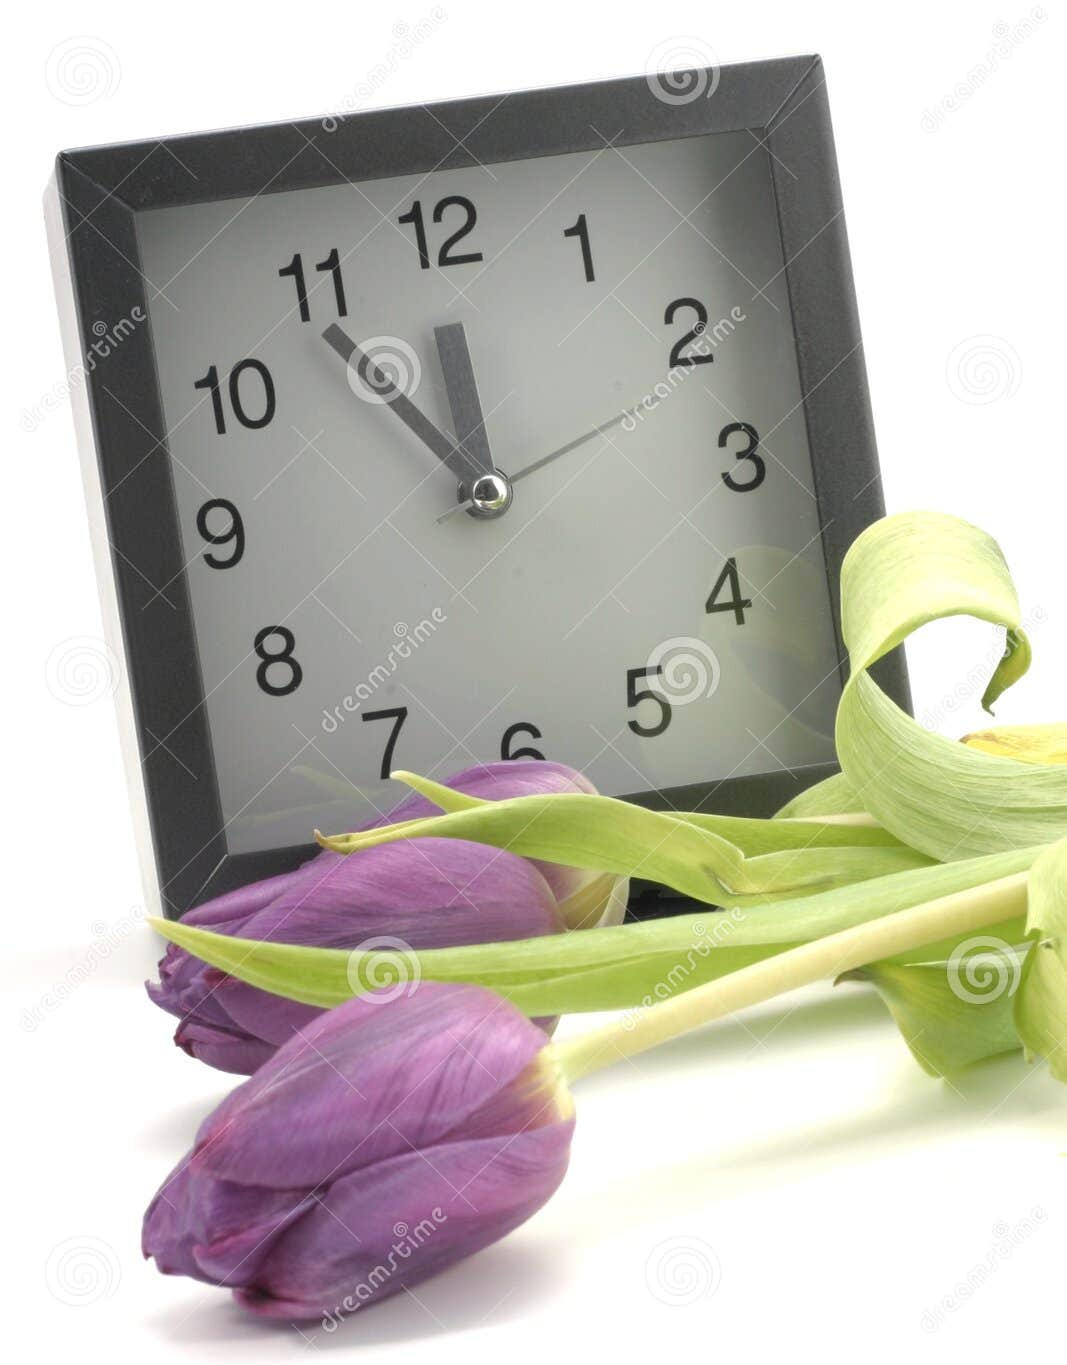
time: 11:54
